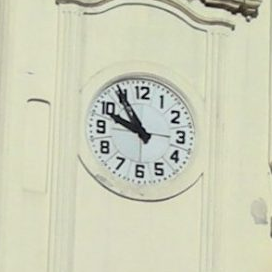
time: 9:54
